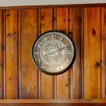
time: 8:11
